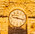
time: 9:17
